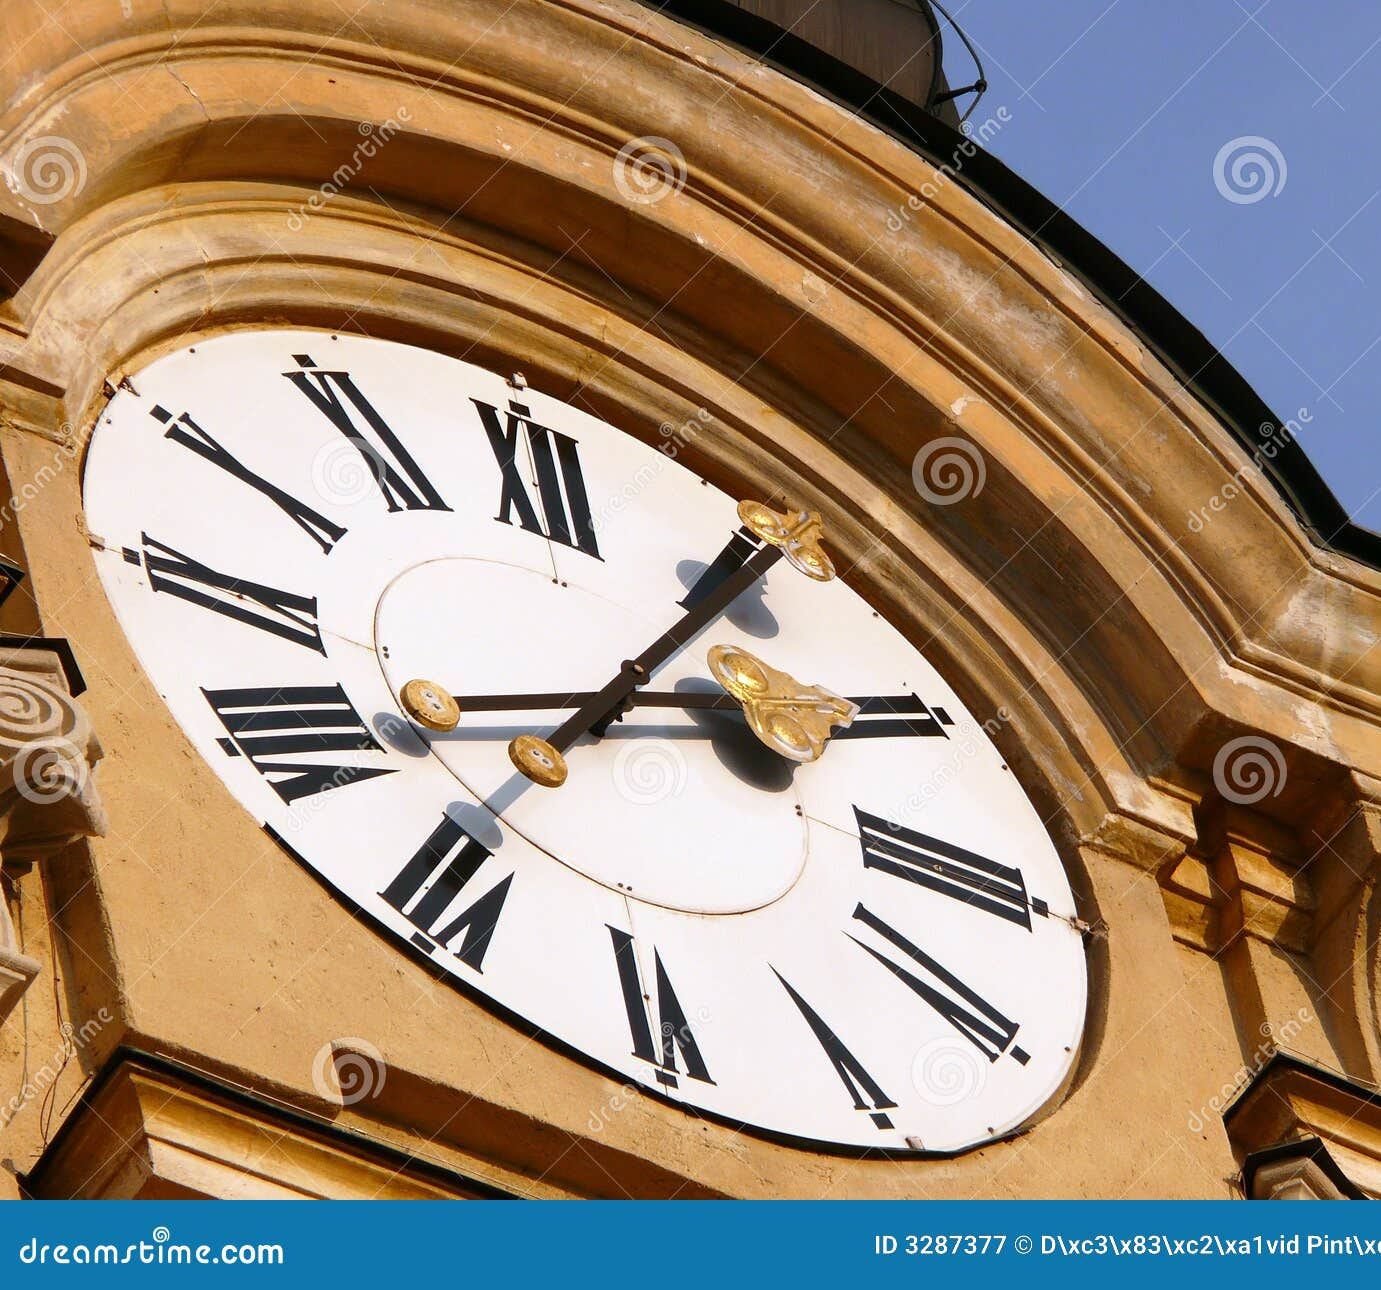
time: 2:06
